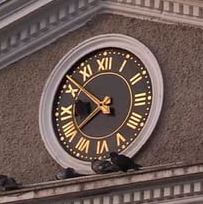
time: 7:51
